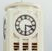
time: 3:30
